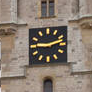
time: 9:12
